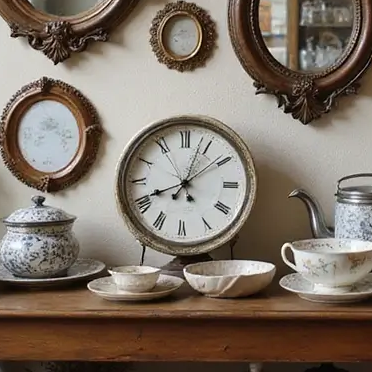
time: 12:41
